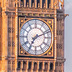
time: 7:11
